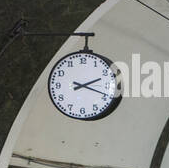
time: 2:18
